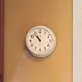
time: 10:53
